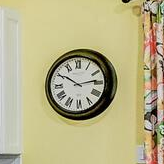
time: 10:13
